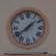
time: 1:39
